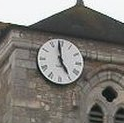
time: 4:58
